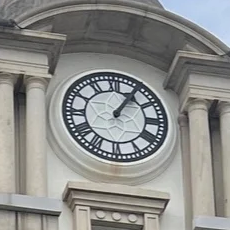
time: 1:05
